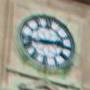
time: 2:42
